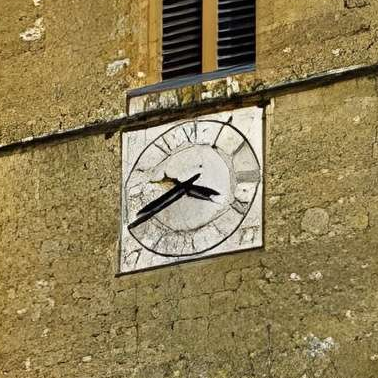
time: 3:40
